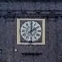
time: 2:00
